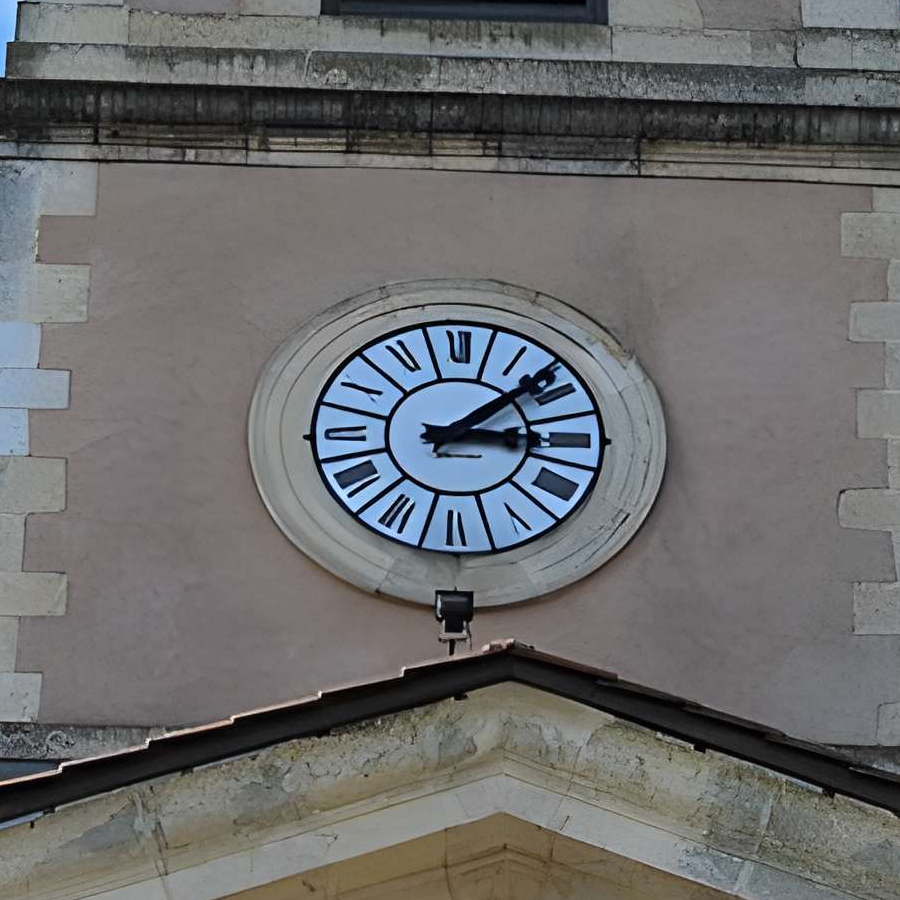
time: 3:08
